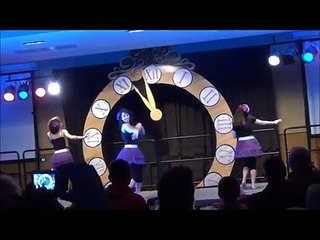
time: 10:58
